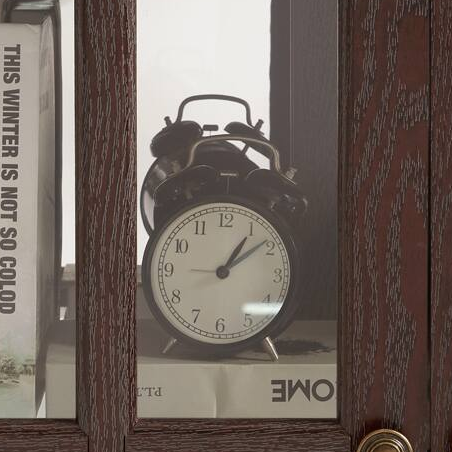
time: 1:08
